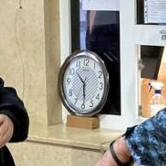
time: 5:51
